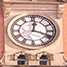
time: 12:18
